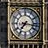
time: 7:16
